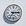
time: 7:15
